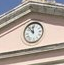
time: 11:53
